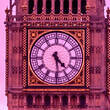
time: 4:29
